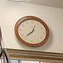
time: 12:37
